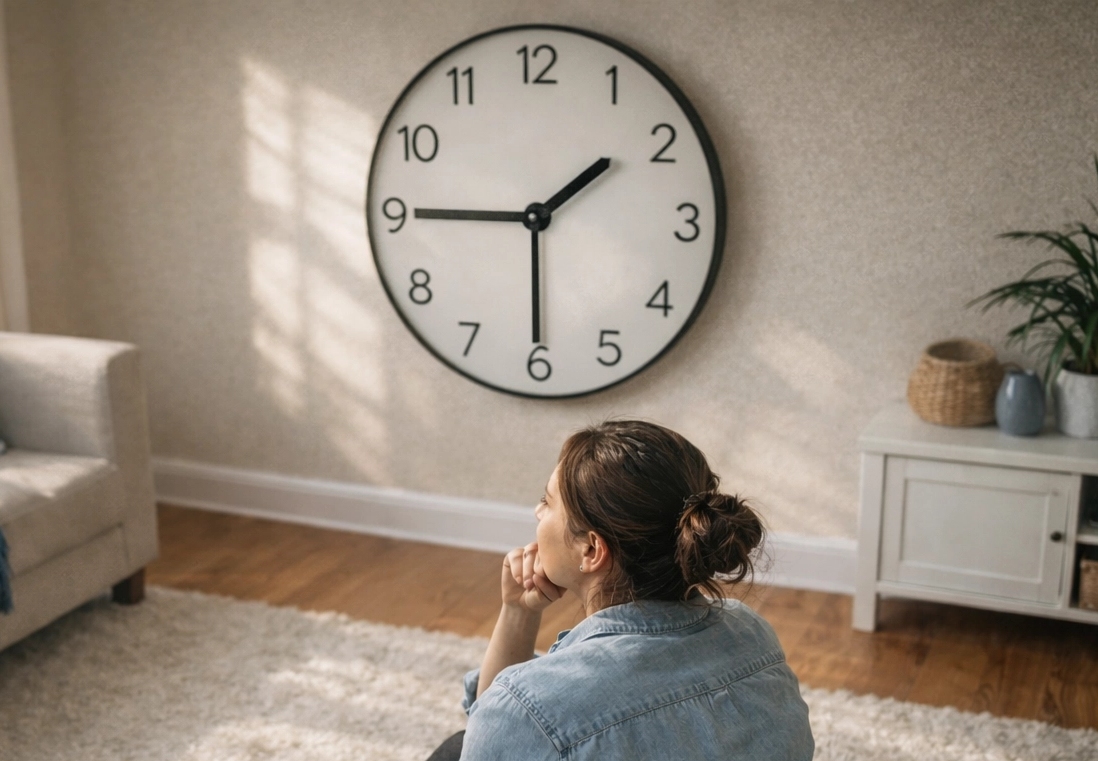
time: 1:45
